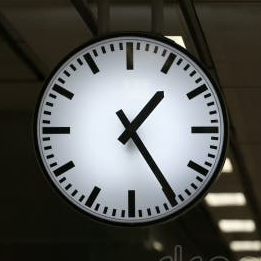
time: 1:24
